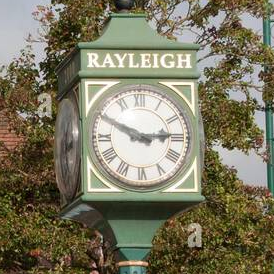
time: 2:49
